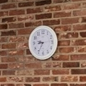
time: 9:34
